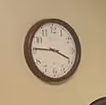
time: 3:45
